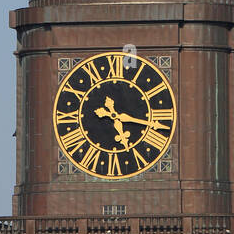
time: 3:24
